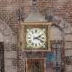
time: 2:18
